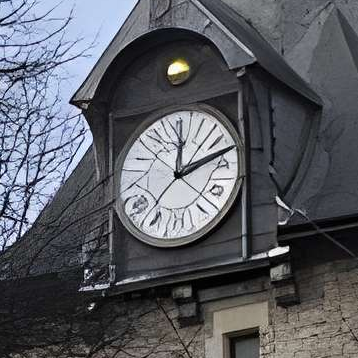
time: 12:12
